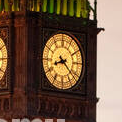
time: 8:21
